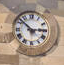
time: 2:52
